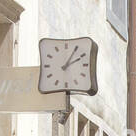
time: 2:05
